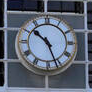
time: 10:26
